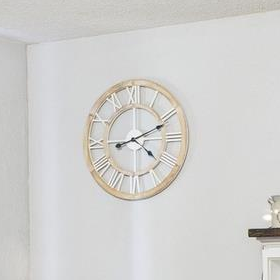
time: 4:11
